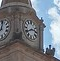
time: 2:40
